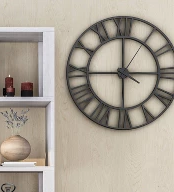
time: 5:59
